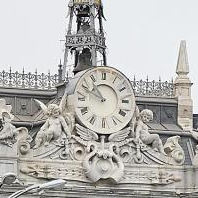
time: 10:49
